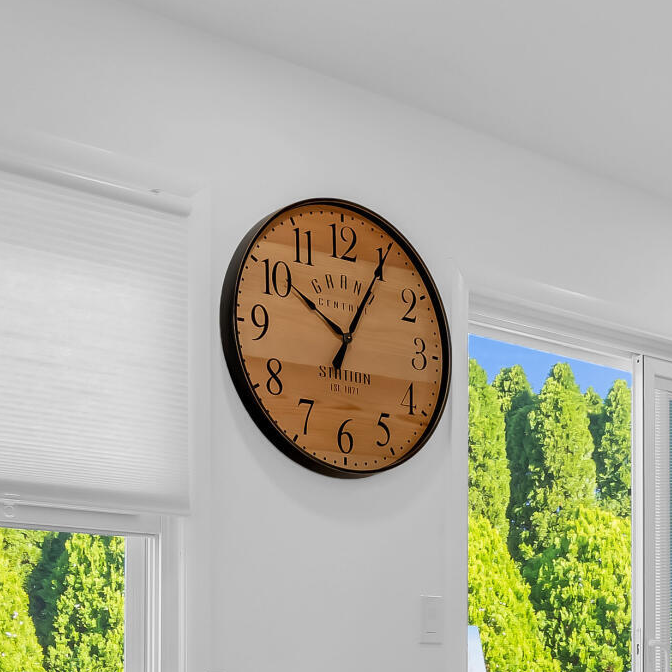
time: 10:04
